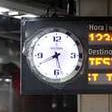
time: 5:40
